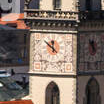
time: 11:53
